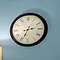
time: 2:33
